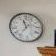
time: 11:36
